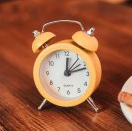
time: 12:12
